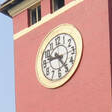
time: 9:24
